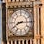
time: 8:14
